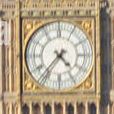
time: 4:36
